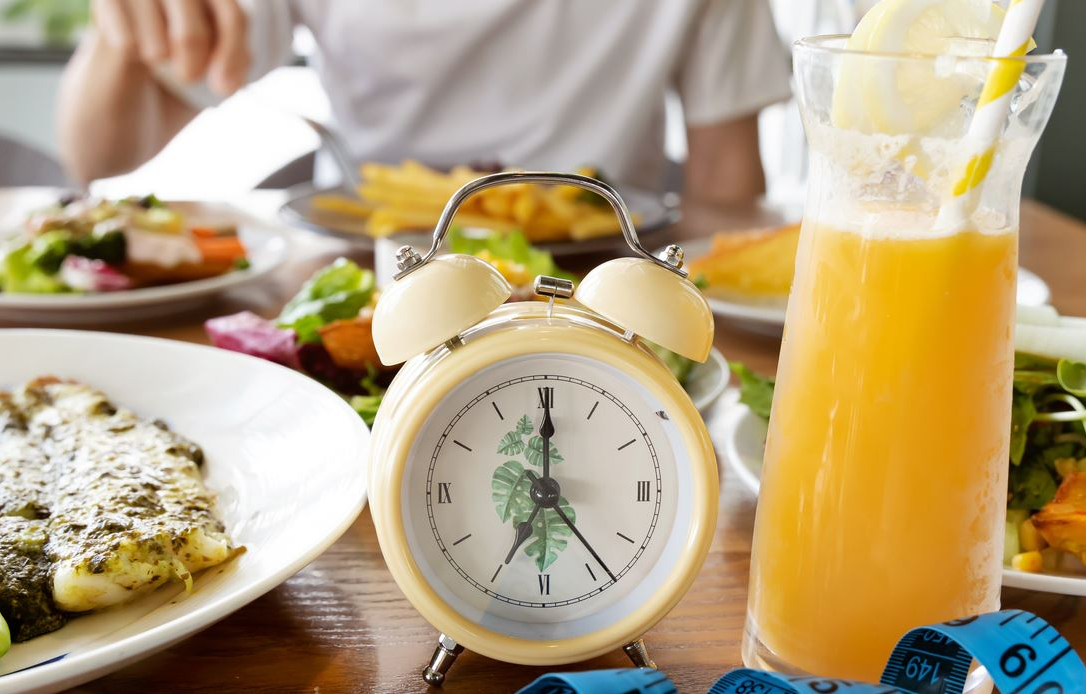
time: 7:00
